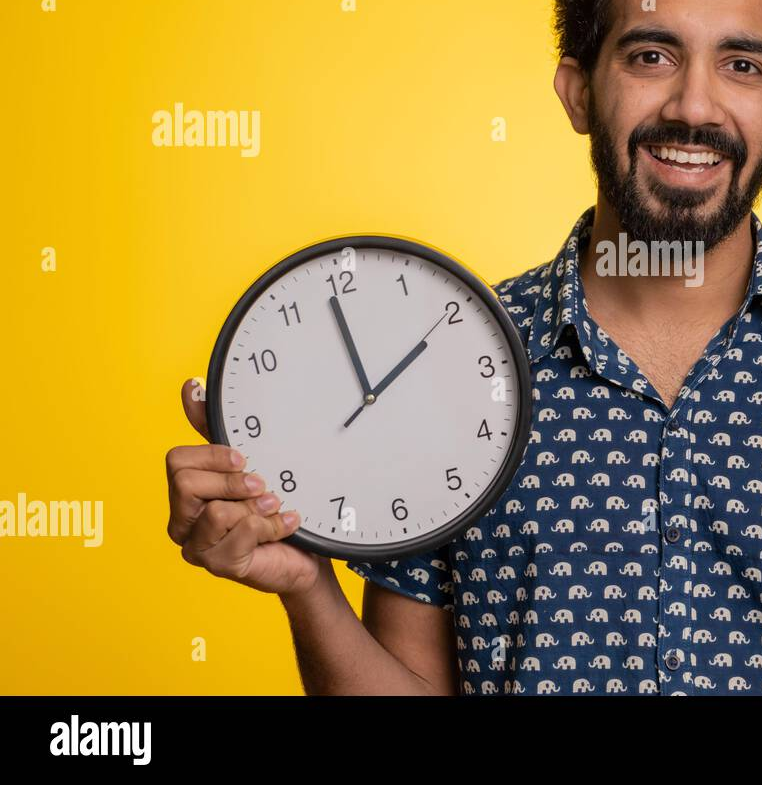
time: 1:58
